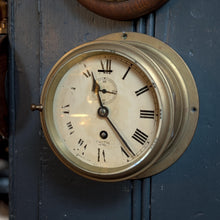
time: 11:23
